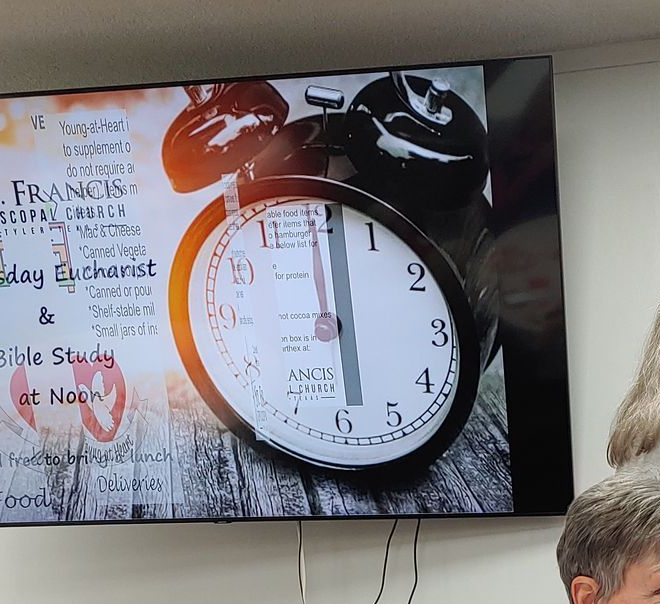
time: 6:00
